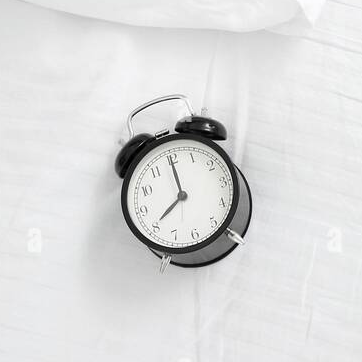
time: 8:00
